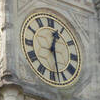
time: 12:27
